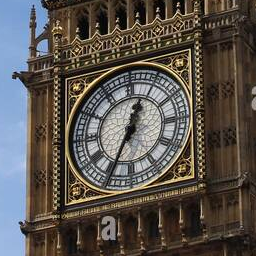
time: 12:34
